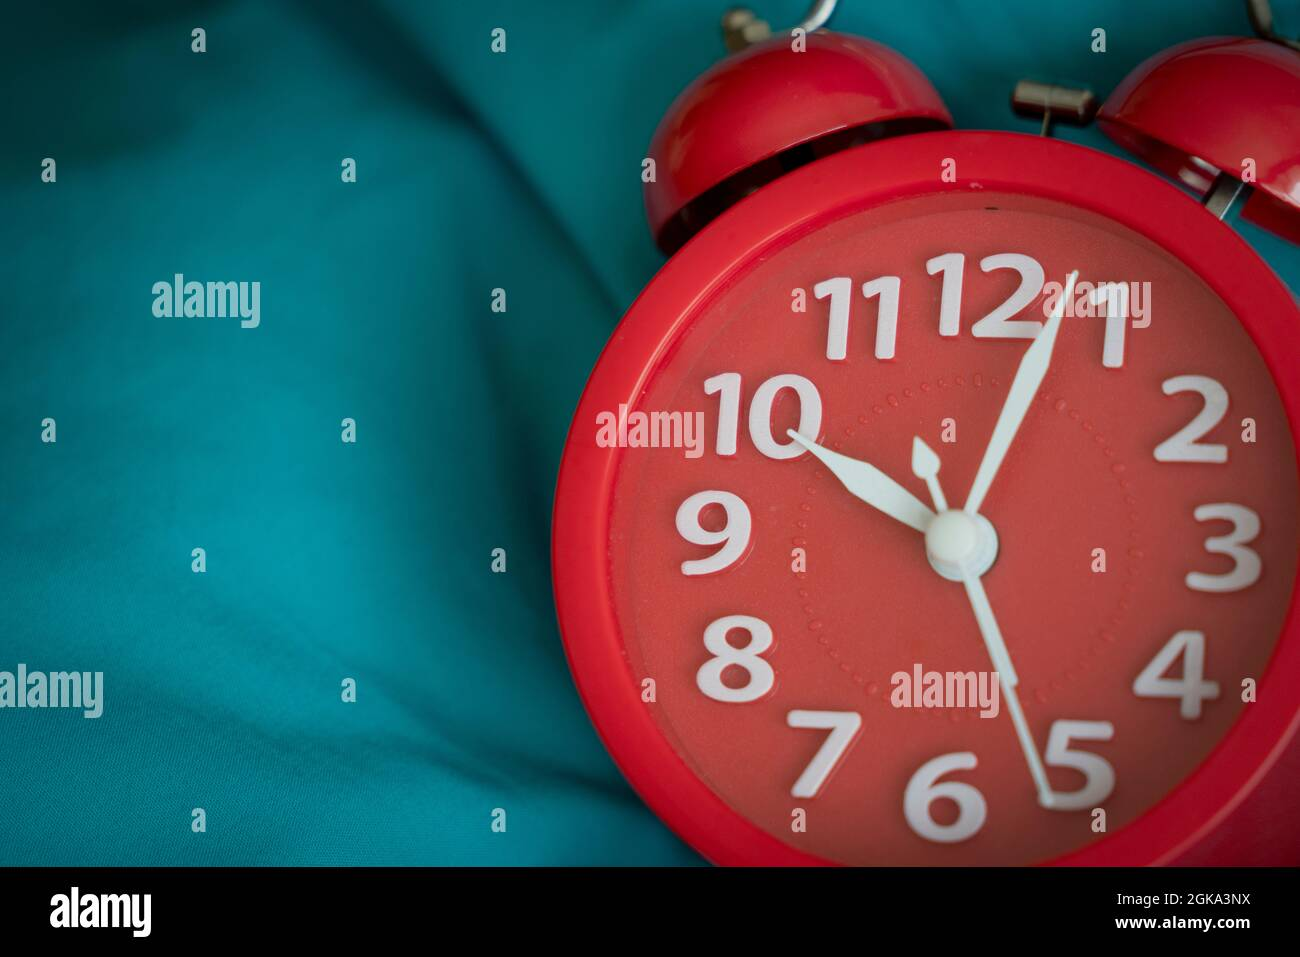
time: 10:03
